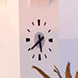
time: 5:39
